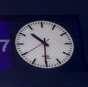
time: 10:30
